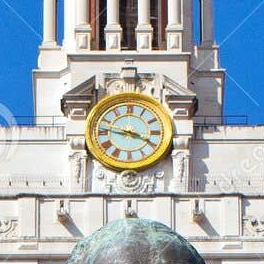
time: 3:46
